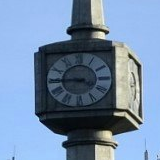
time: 3:44
